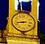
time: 8:43
